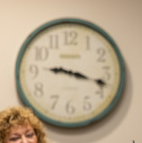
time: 9:17
